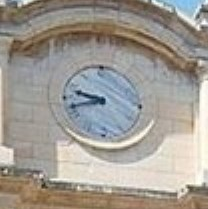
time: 9:42
